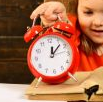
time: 12:07
